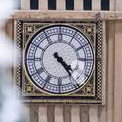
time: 4:23
